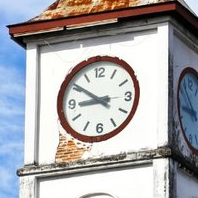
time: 8:50
